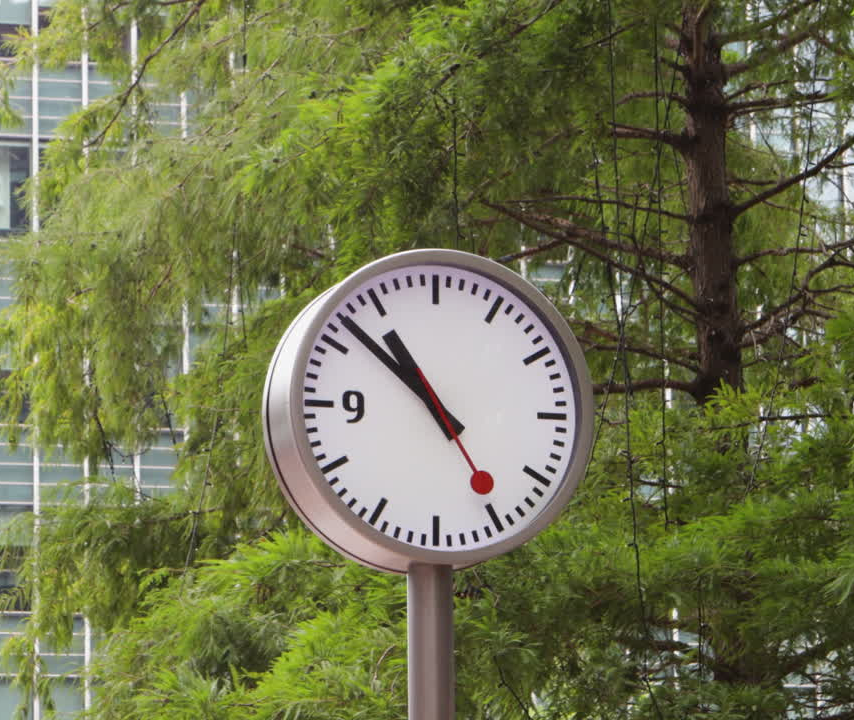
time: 10:52
